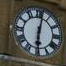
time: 6:01
